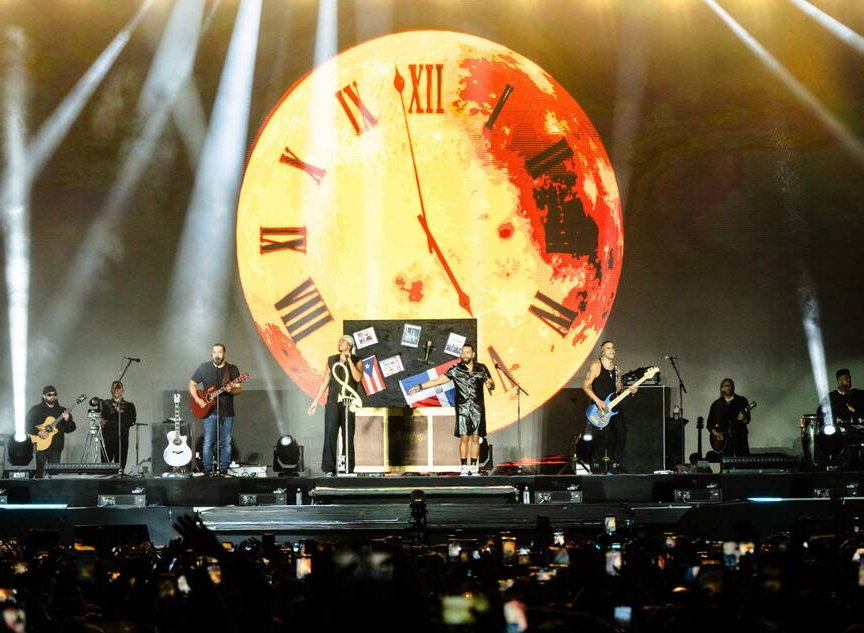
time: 4:58
